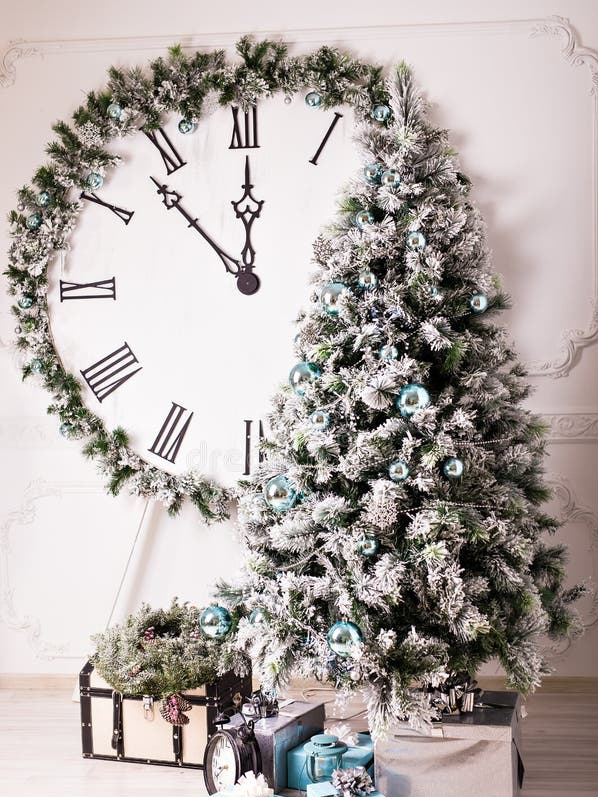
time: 11:52
